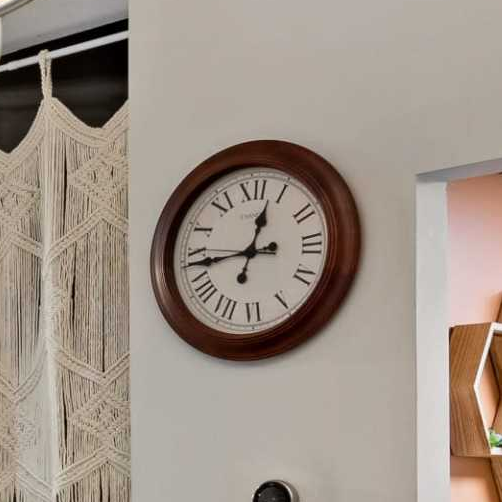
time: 12:44
